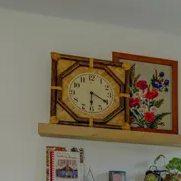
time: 6:20
